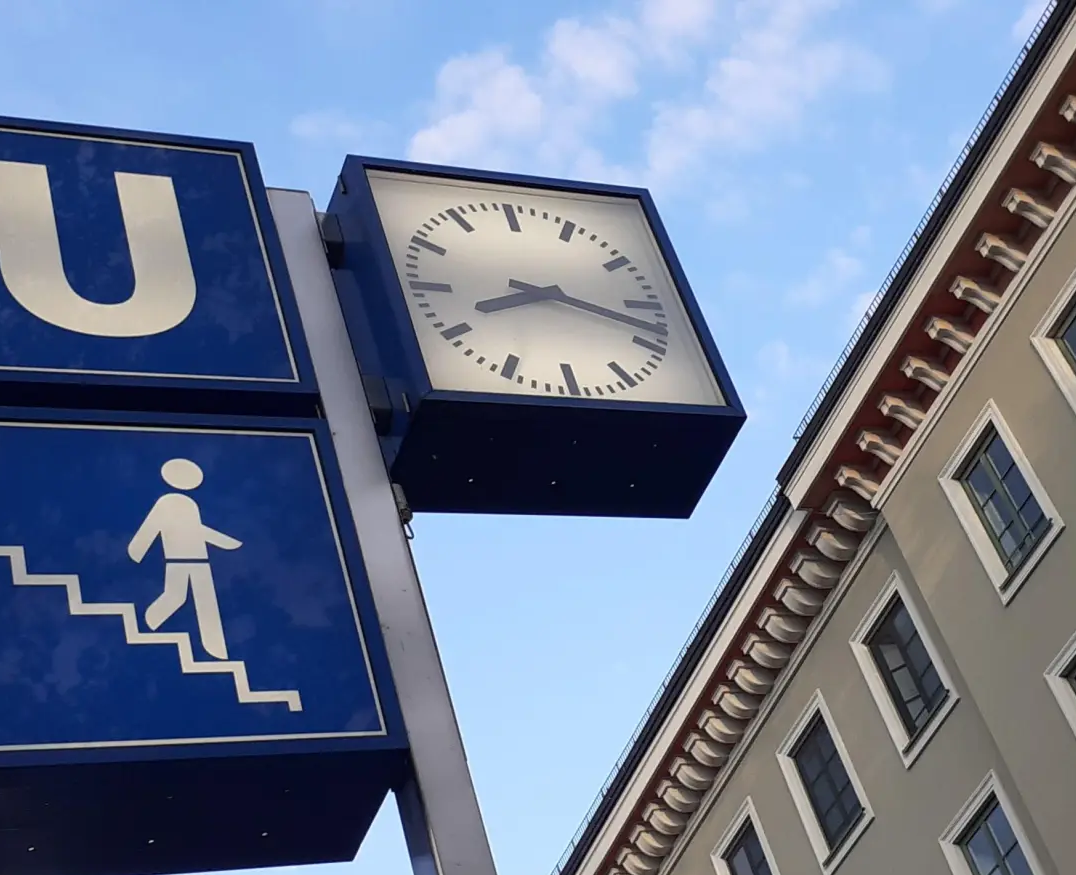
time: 8:18
